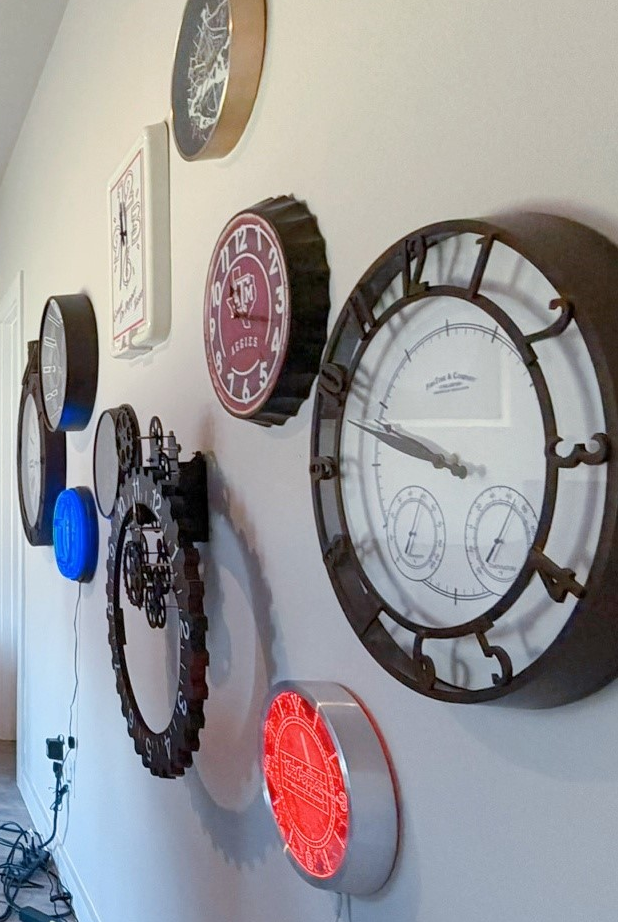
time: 9:47
